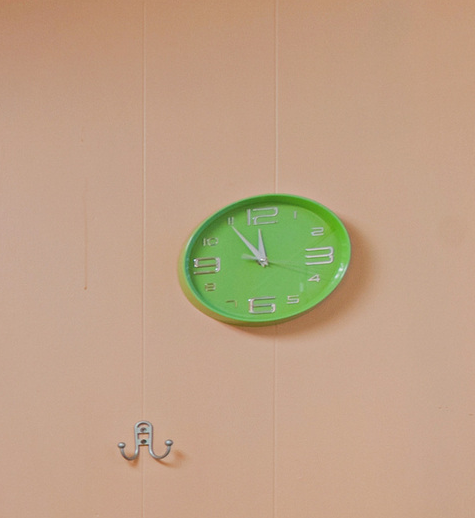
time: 11:54
